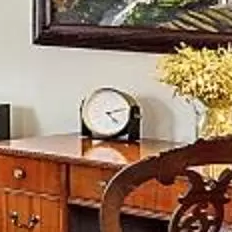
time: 4:12
